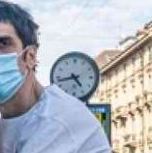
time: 4:42
